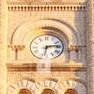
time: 6:13
